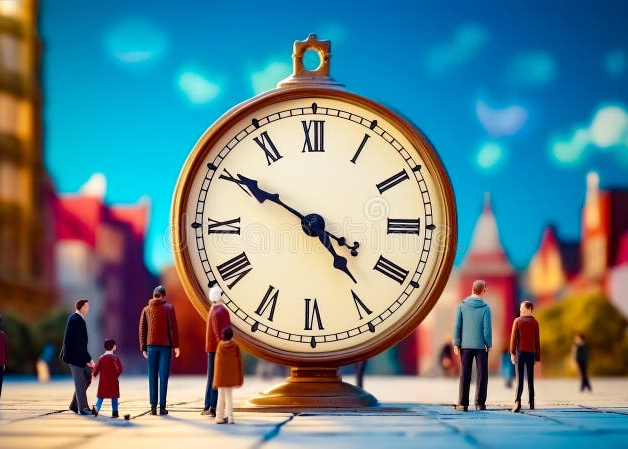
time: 4:50
